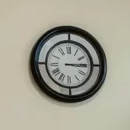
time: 3:14
